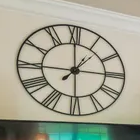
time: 1:14
